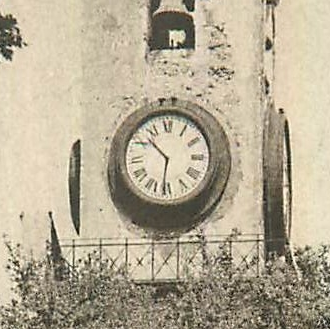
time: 10:31
